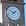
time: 1:50
